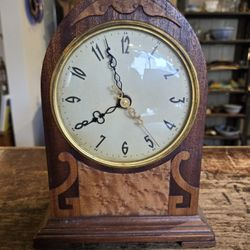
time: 7:57
